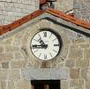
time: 10:45
